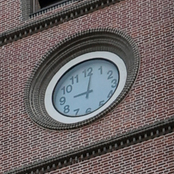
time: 9:01
